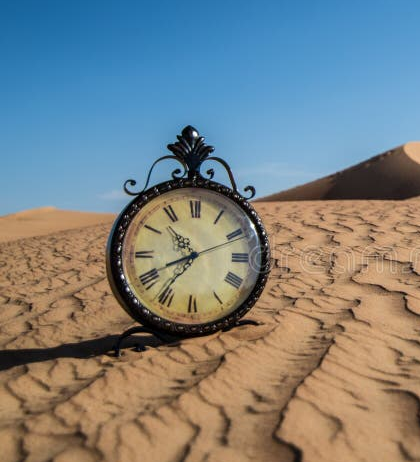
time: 10:41
